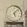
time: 5:07
